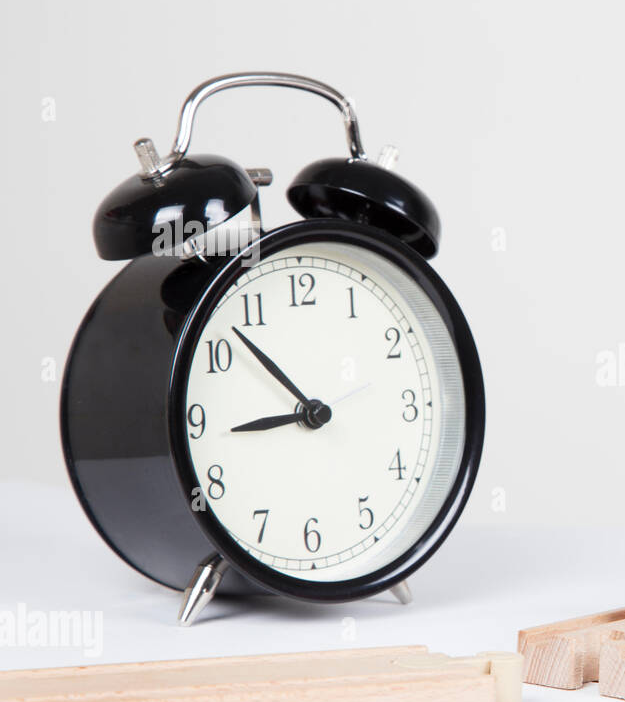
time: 8:52
